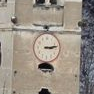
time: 3:13
